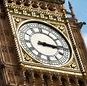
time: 3:15
